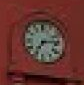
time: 7:14
